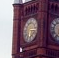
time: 6:15
